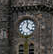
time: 12:22
